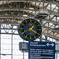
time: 1:20
